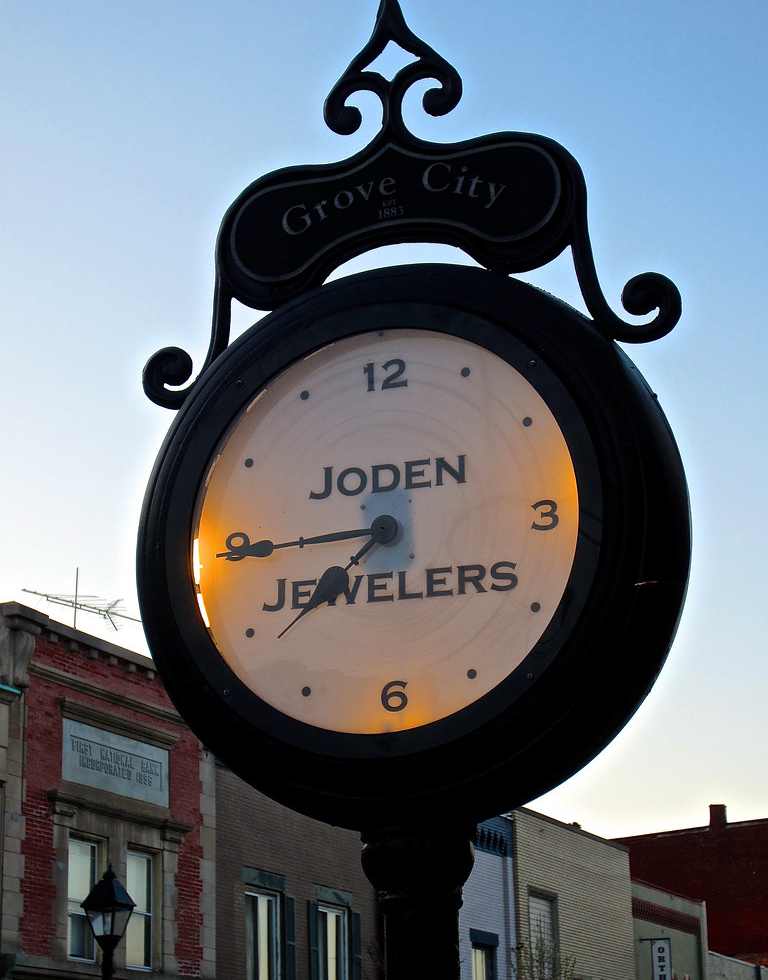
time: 7:44
